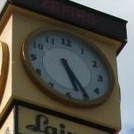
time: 5:24
